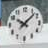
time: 10:07
